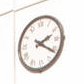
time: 2:21
